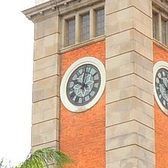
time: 10:00
